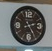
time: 2:24
